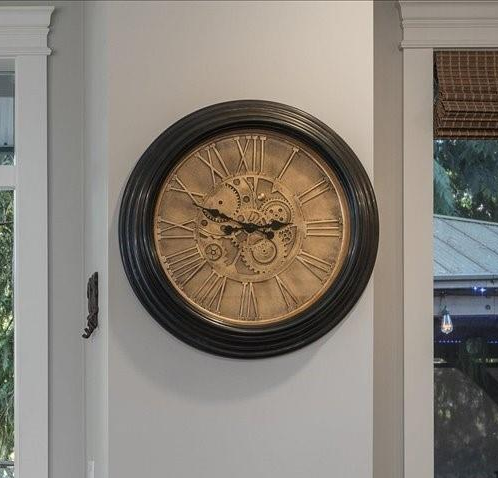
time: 2:48
